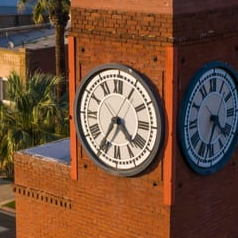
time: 4:35
